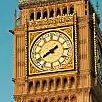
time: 7:40
